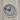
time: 12:47
